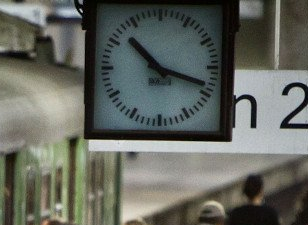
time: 10:18
